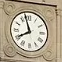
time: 7:57
